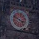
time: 3:48
